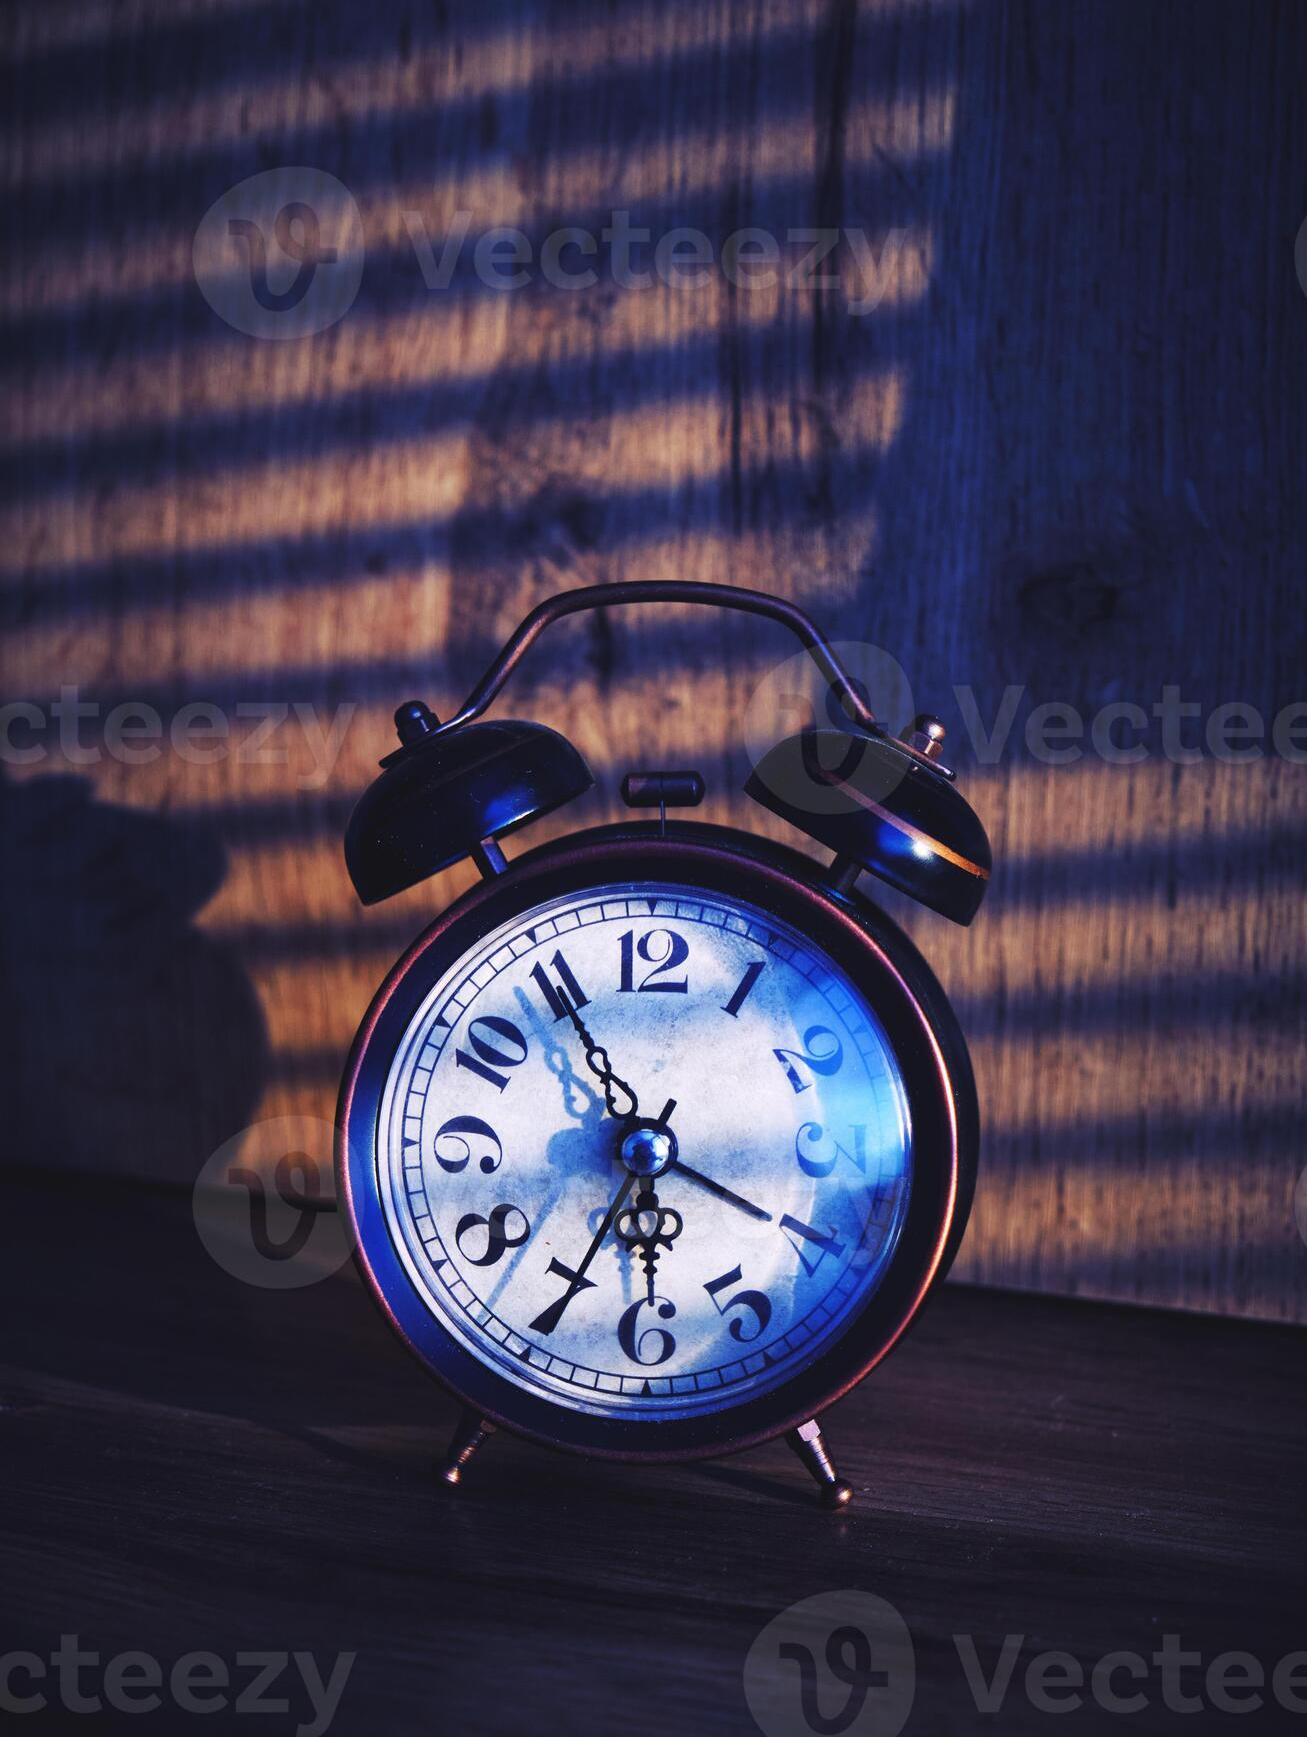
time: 5:55
